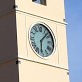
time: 6:07
